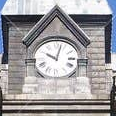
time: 10:02
